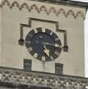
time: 5:15
